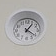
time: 1:20
